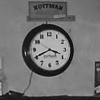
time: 3:40
